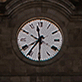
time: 11:35
